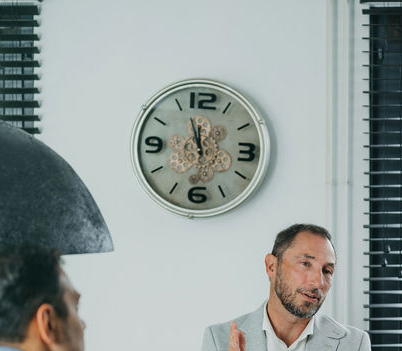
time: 11:56
